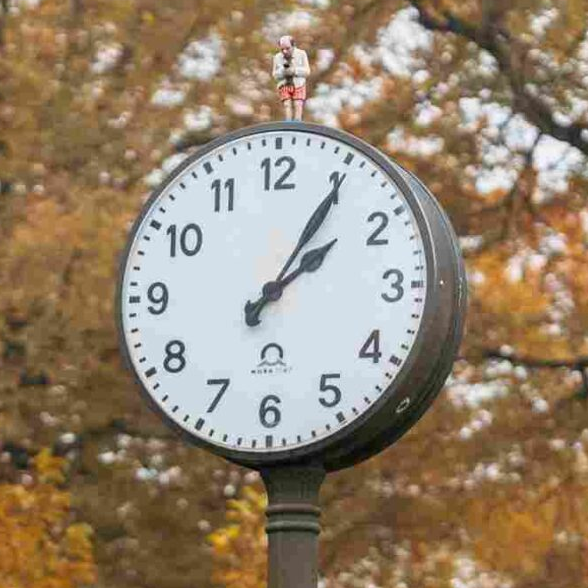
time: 2:05
